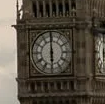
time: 5:59
